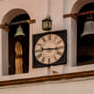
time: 9:15
